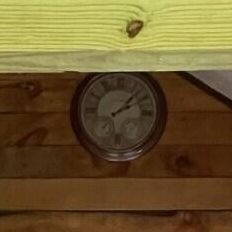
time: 2:07
